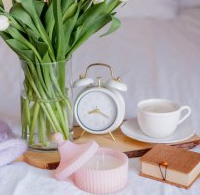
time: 8:19
